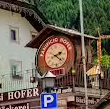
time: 2:21
